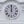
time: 12:00
